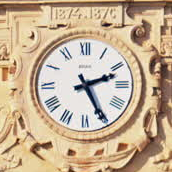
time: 2:25
